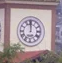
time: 11:59
